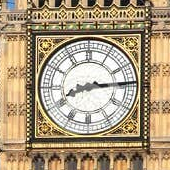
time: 8:14
